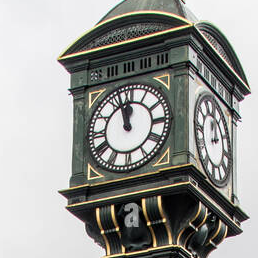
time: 11:57
